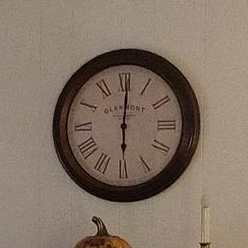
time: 6:00
